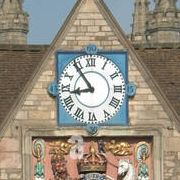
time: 8:54
